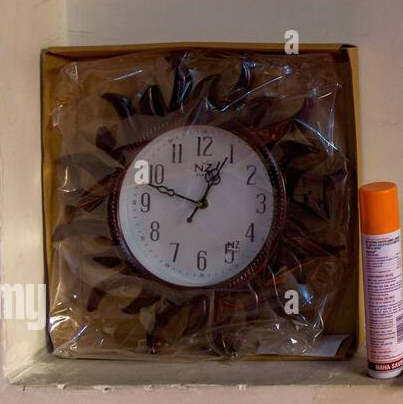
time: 12:48
